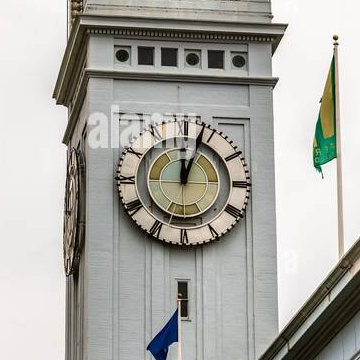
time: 12:03
